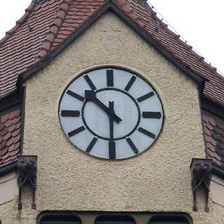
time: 10:30
